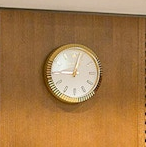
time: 9:02
